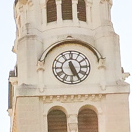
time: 11:25
